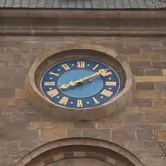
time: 8:08
